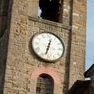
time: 12:32
